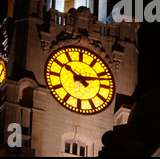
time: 10:12
